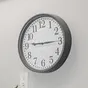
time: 9:14
